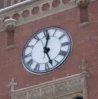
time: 12:27
